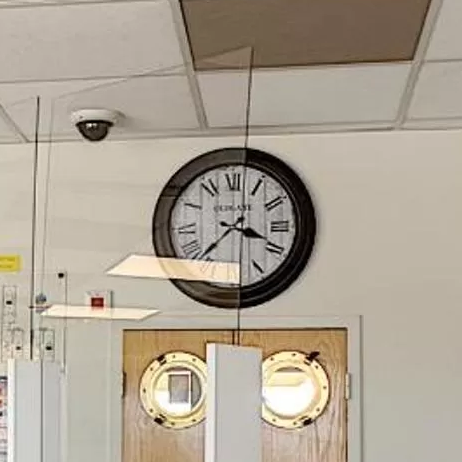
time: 3:37
